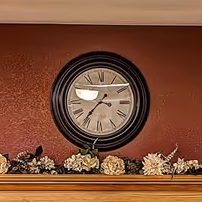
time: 2:36
